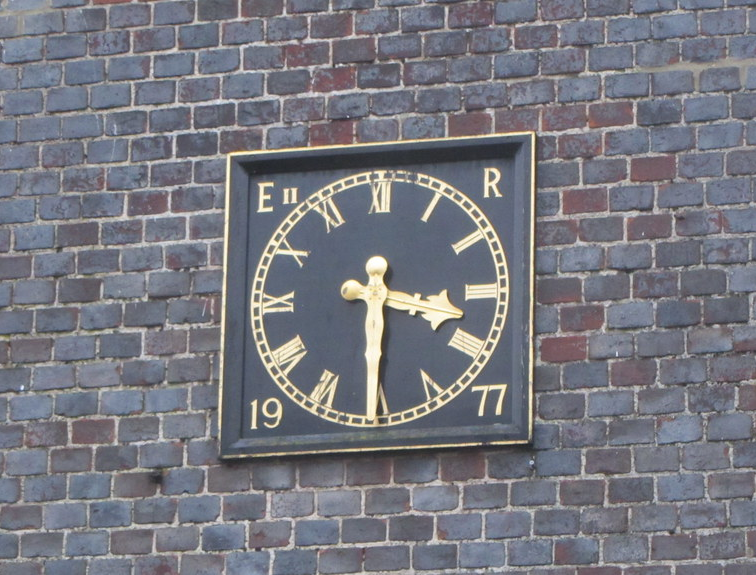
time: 3:30
